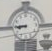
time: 8:45
